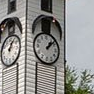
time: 1:08
